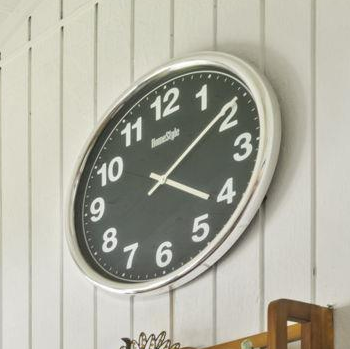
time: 4:09
